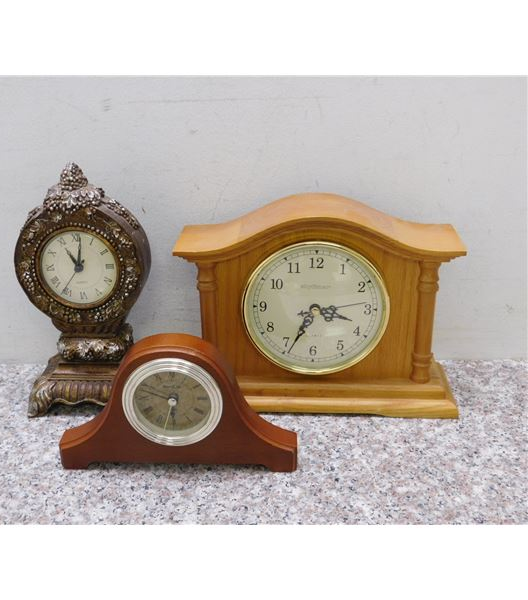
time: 3:34
